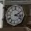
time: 2:18
